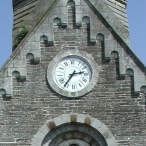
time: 2:35
